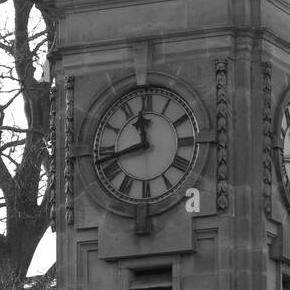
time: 11:42
